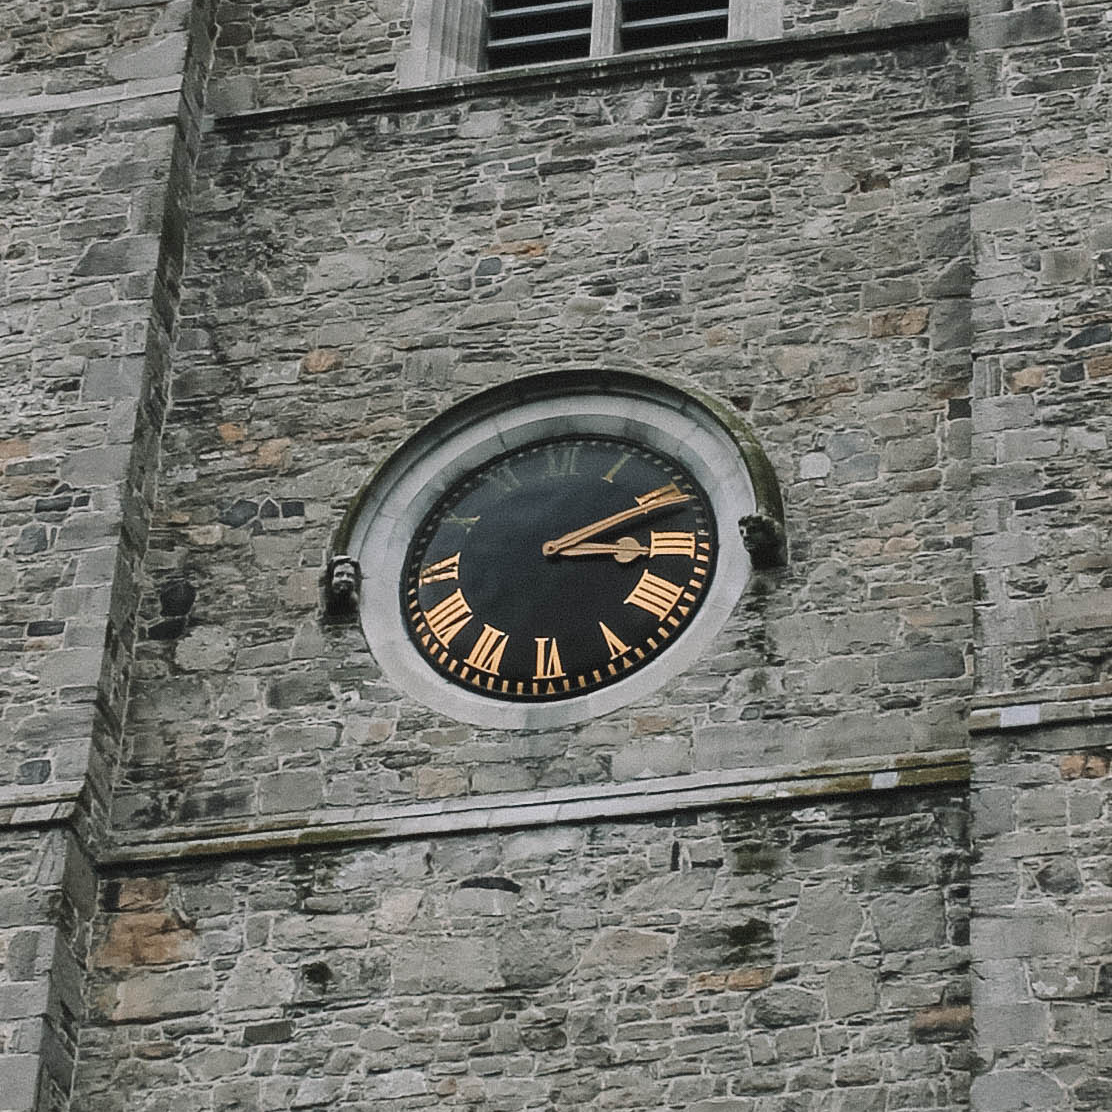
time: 3:11
